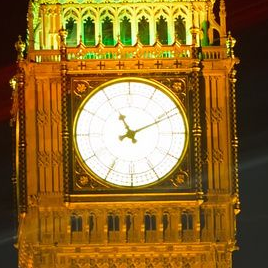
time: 11:10
